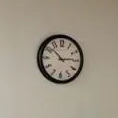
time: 2:52
